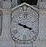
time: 3:48
